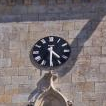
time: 4:30
